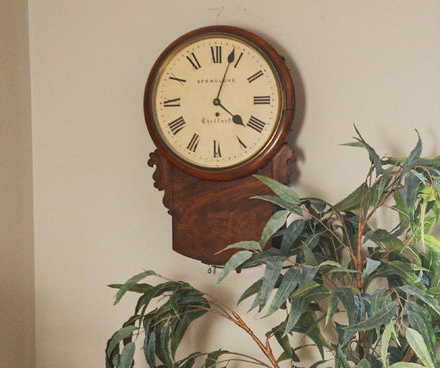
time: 4:03
